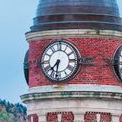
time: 7:31
